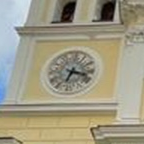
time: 6:17
